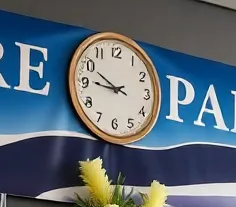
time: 9:45
